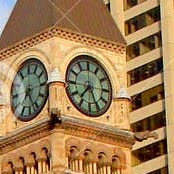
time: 7:25
